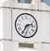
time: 2:35
